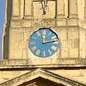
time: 12:12
